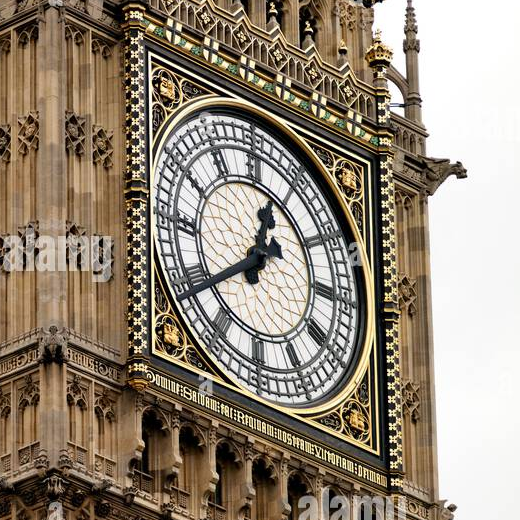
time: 12:39
